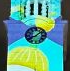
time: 8:07
